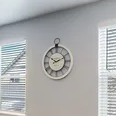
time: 10:11
